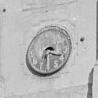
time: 3:29
